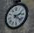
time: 2:21
